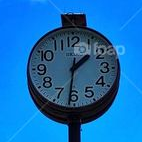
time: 1:31
